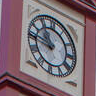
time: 10:45
